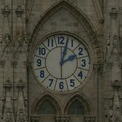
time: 2:02
